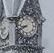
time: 8:40
